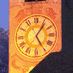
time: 5:05
